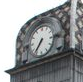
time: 7:36
